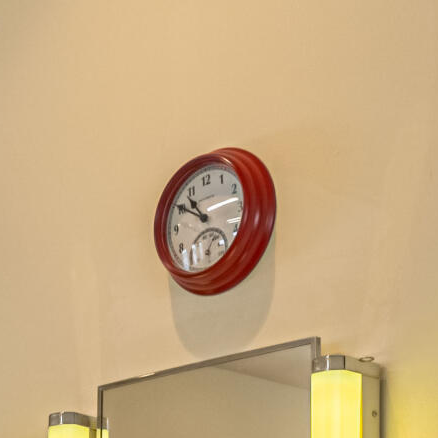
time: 10:50
